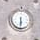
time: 5:30
